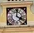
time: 4:00
